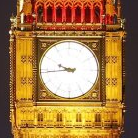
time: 9:43
